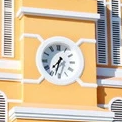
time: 7:32
